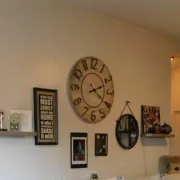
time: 2:21
